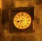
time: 8:34
